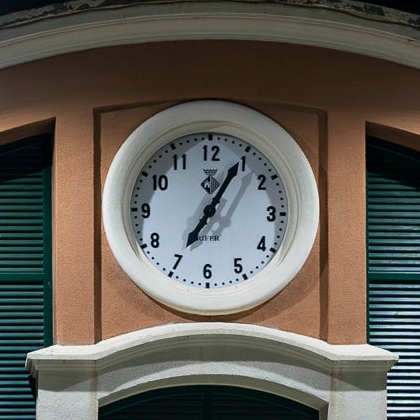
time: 7:04
